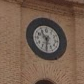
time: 10:31
